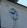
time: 9:07
